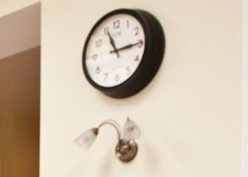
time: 11:14
